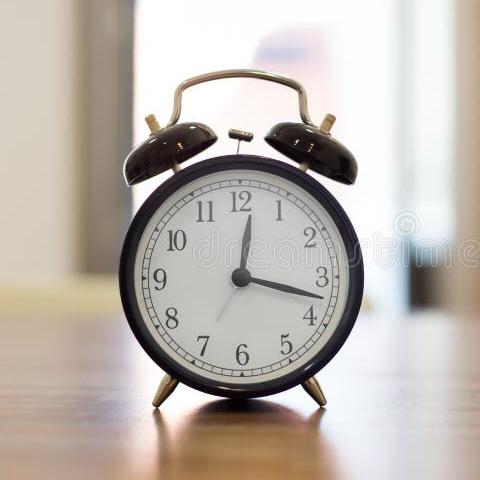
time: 12:17
